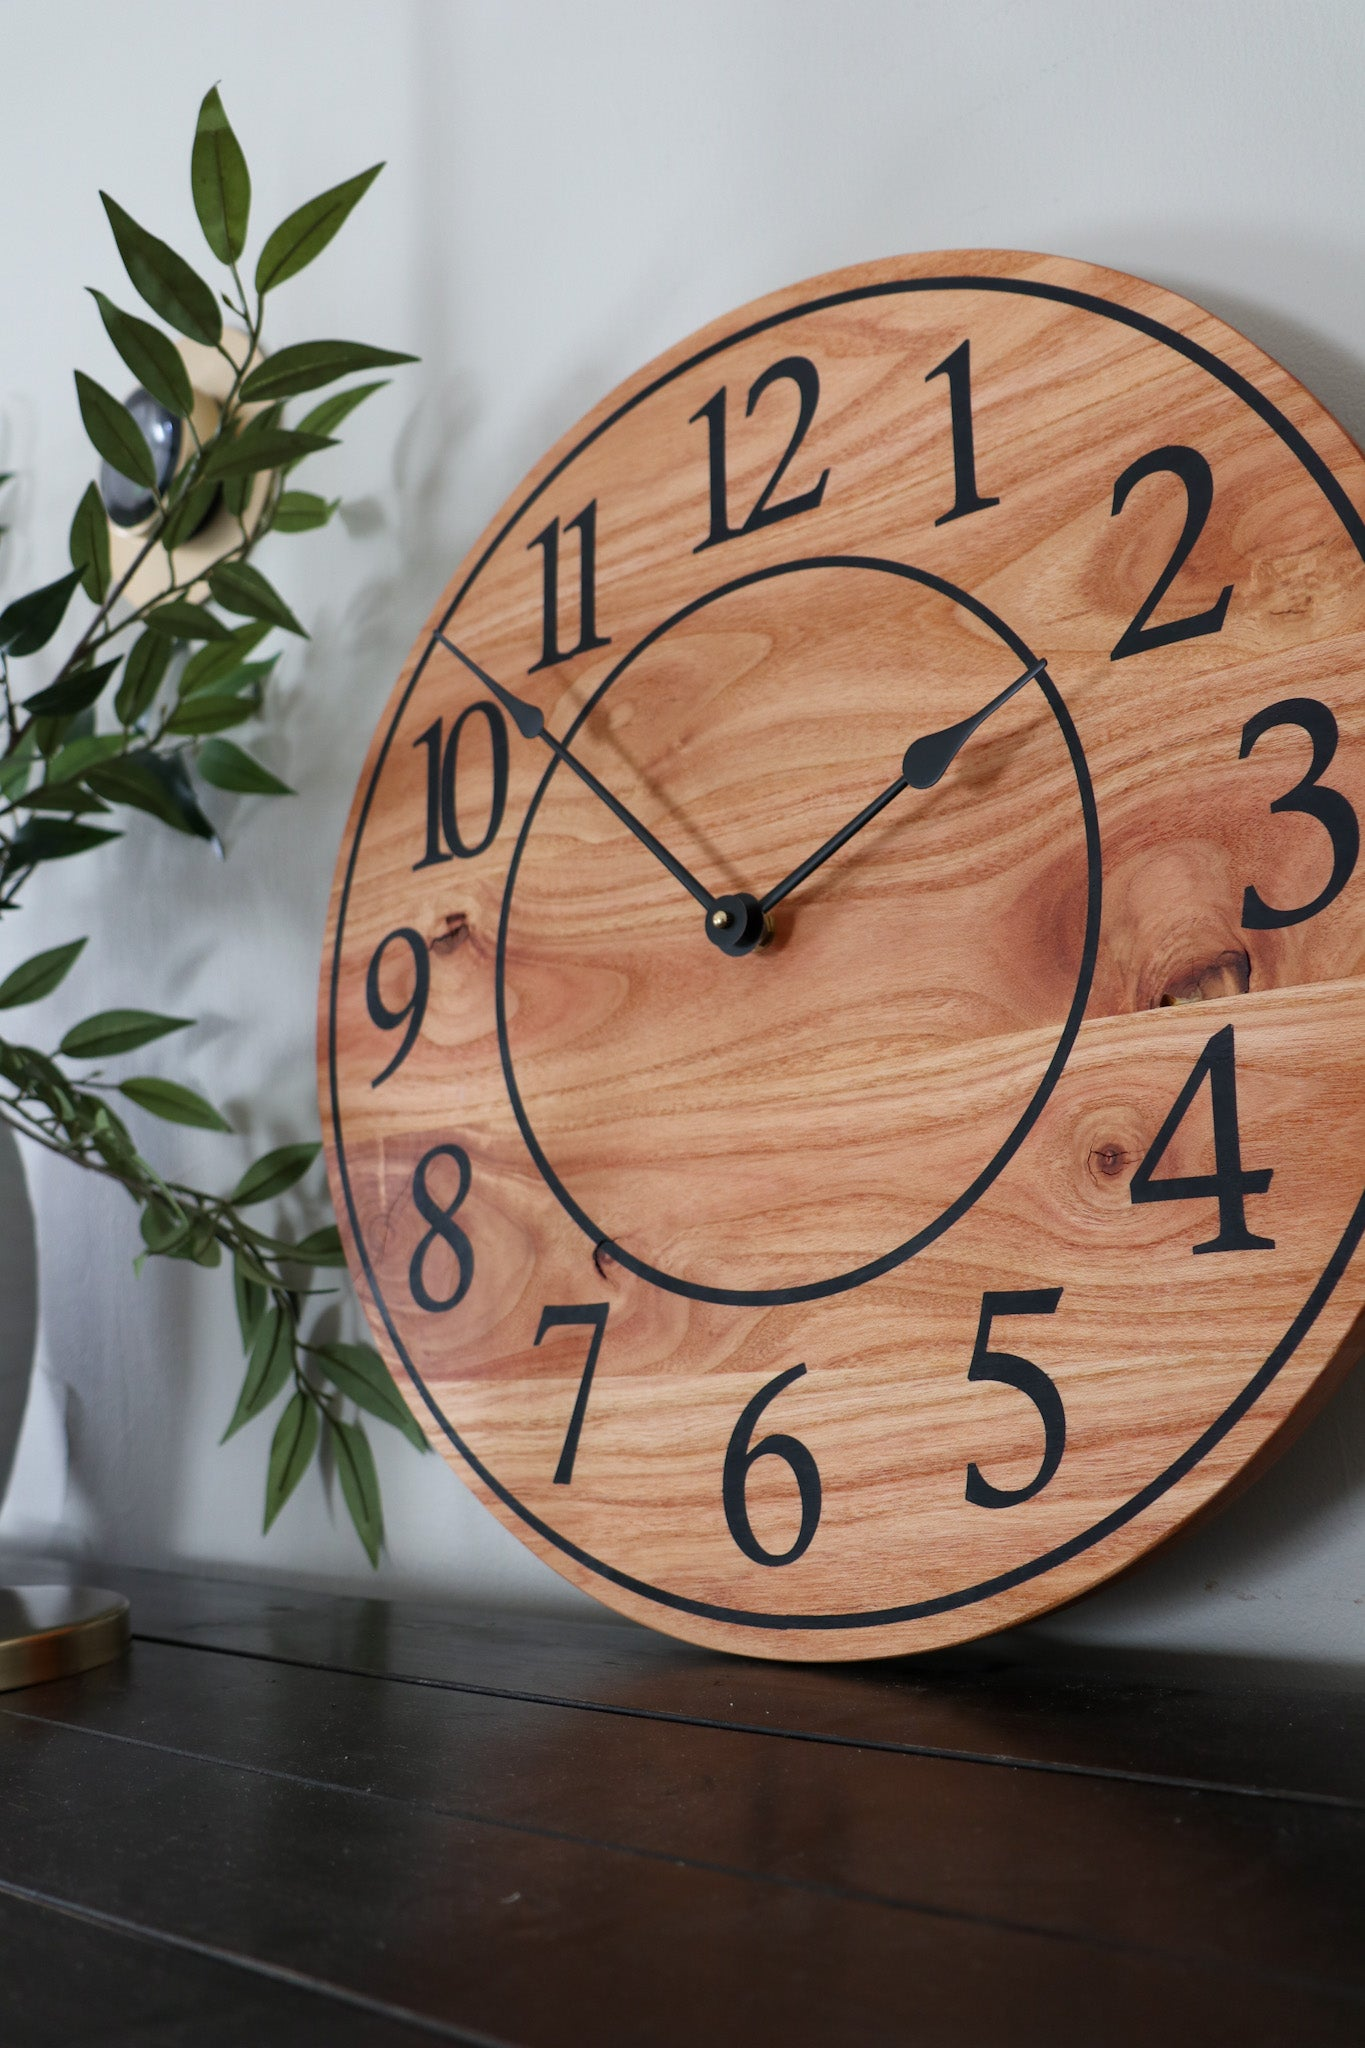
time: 1:52
